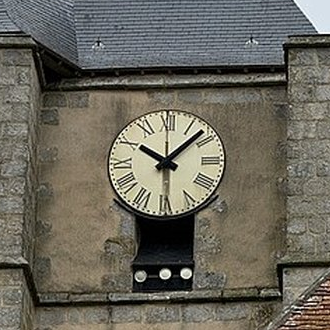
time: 10:07
